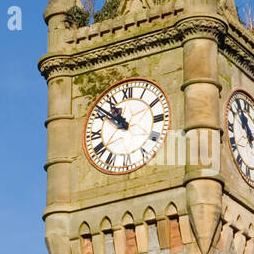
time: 10:51
